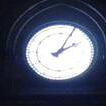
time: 2:04
